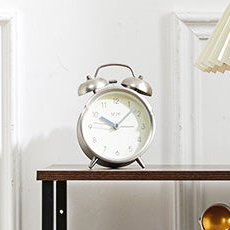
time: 10:07
